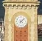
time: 4:07
